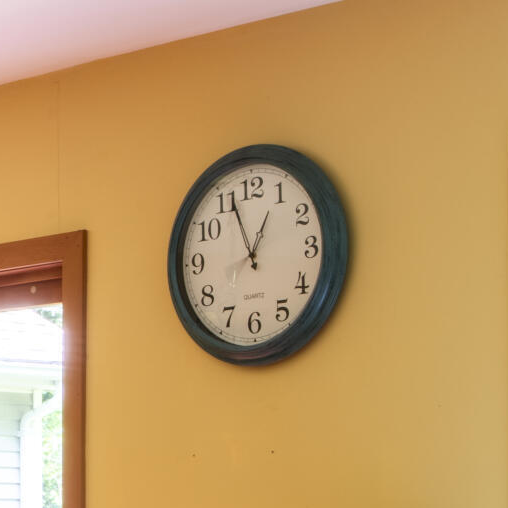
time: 12:56
